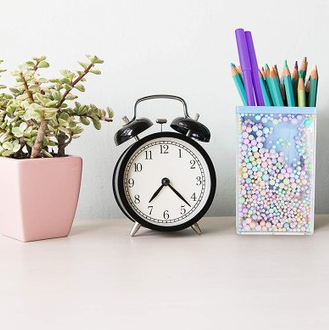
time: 7:22
